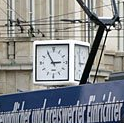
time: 2:54
